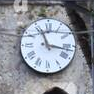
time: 11:16
